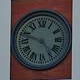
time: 4:48
